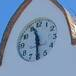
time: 11:29
